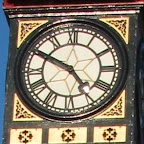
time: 4:49
